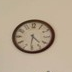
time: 4:31
